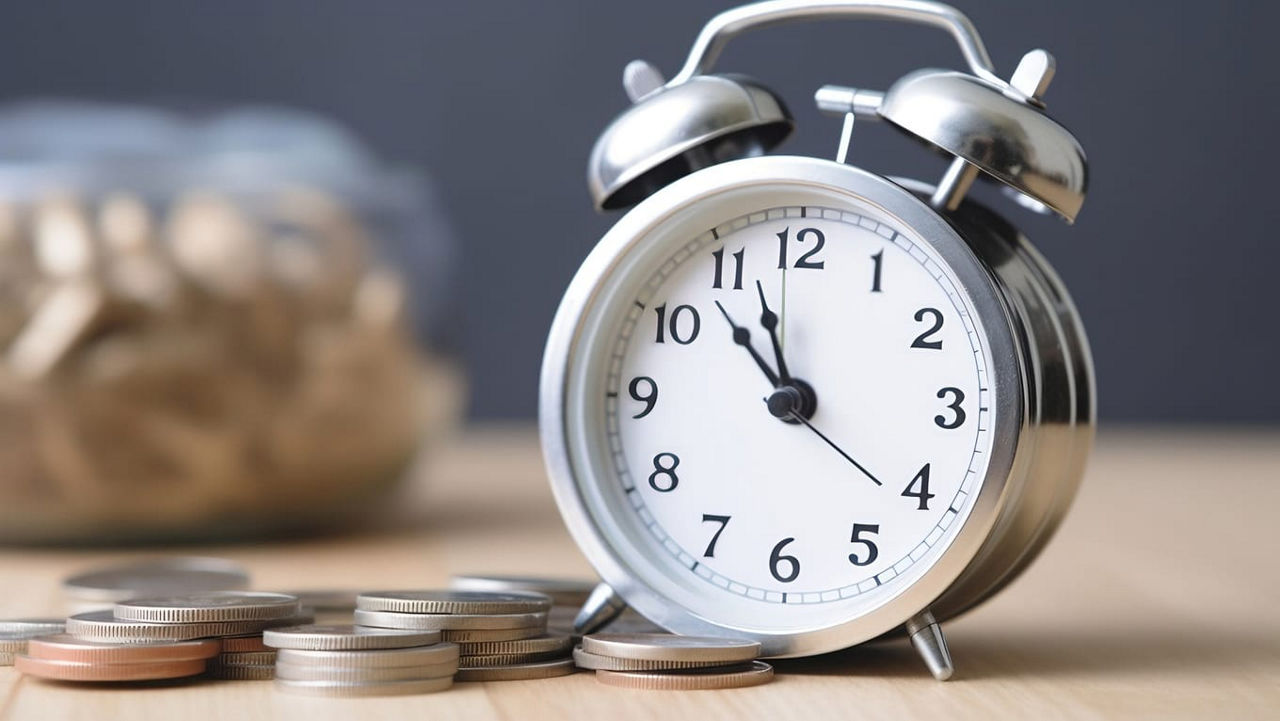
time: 10:57
